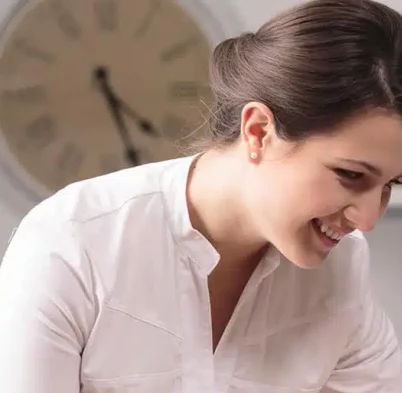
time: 4:26
